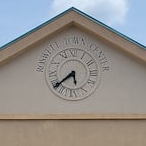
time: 5:38
